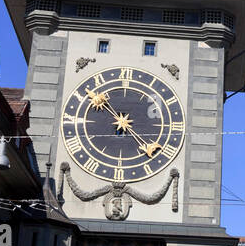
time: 10:23
